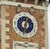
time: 12:32
